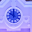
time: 10:00
